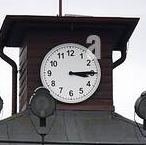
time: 3:14
